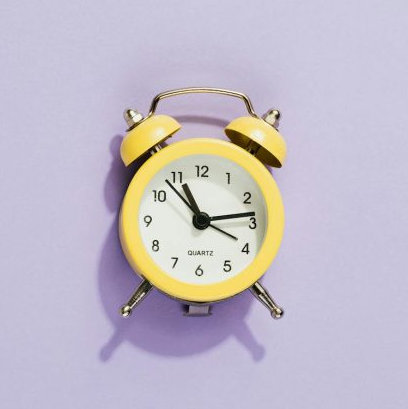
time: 11:13
